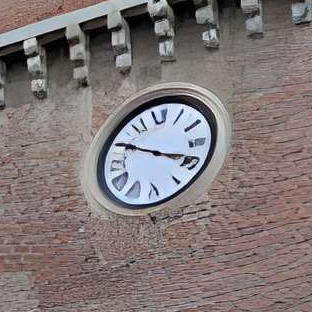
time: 3:49
